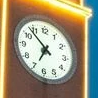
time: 6:52
